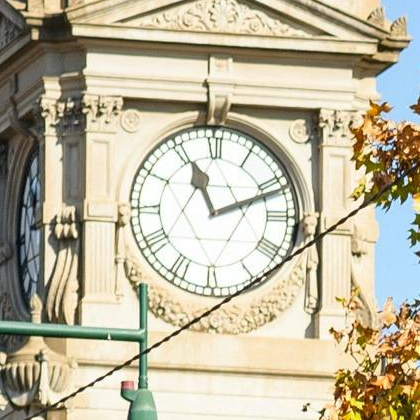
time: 11:11
